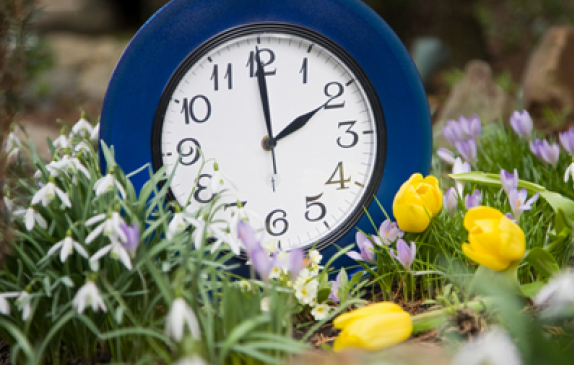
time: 1:59
